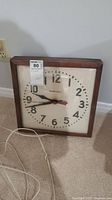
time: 9:42
